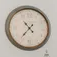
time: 10:36
